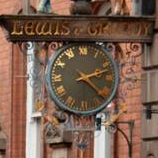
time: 2:22
